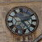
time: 2:24
